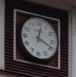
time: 12:18
